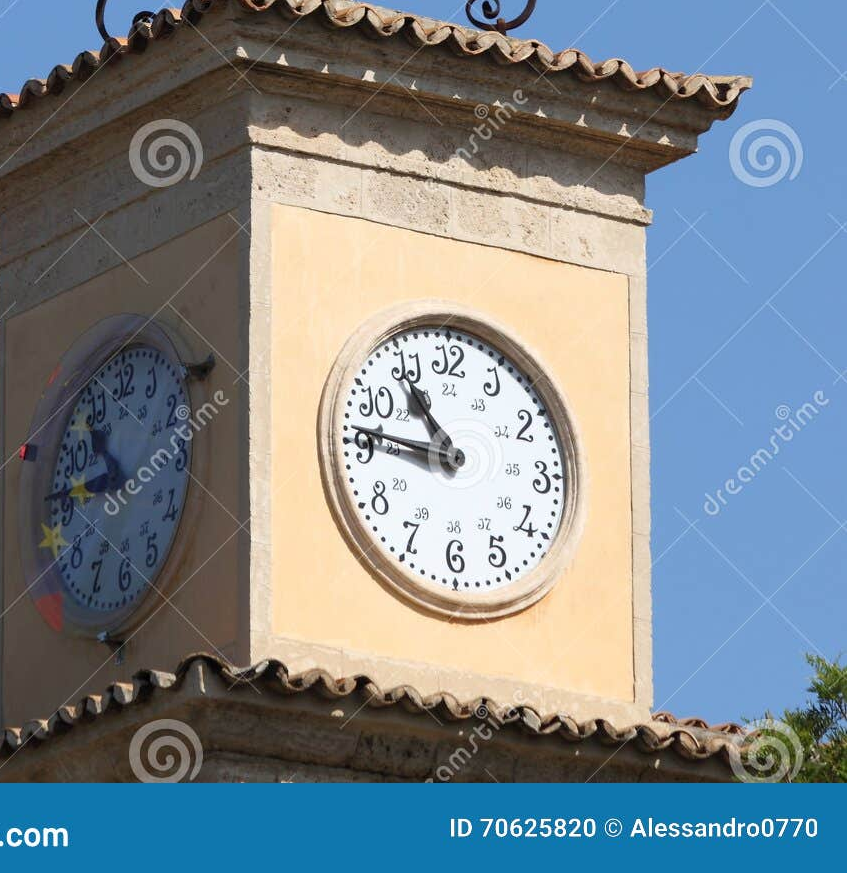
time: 10:46
